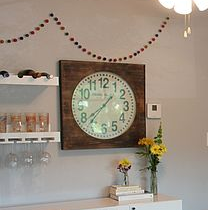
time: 1:38
